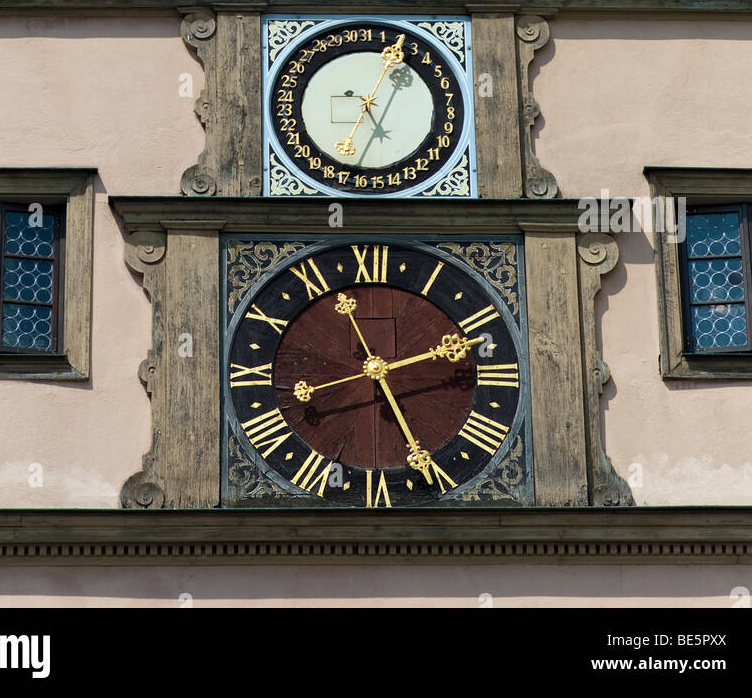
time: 2:25
